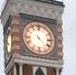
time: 4:22
